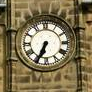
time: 6:34
